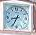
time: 8:34
